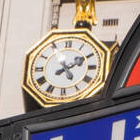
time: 2:09
